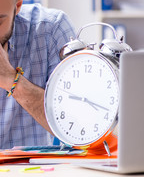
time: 9:18
